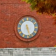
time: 5:26
